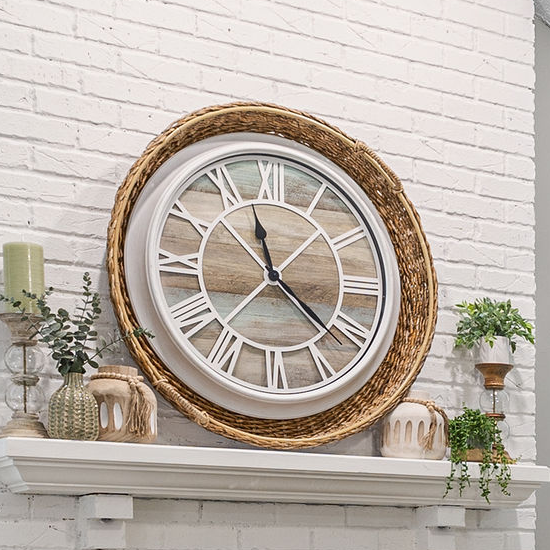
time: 11:21
